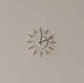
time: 12:11
